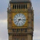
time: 7:15
